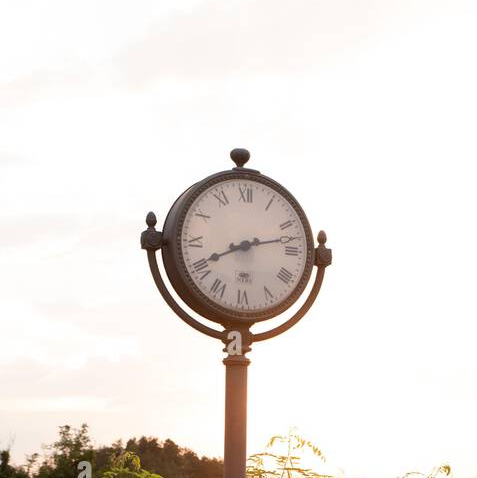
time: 8:12
